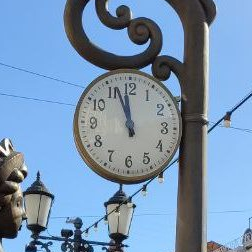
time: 11:56
